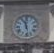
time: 11:28
